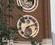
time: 7:12
